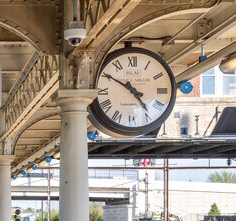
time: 4:50
